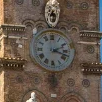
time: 2:18
